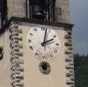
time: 2:02
